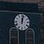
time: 12:02
